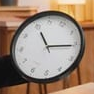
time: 11:15
